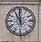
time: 10:59
